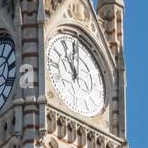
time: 11:02
